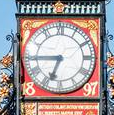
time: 6:44
